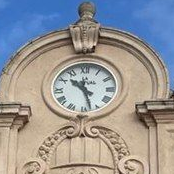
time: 10:27
